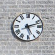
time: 5:12
